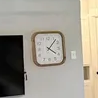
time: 4:07
